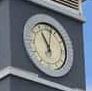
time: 11:02
